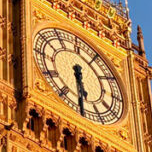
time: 5:30
